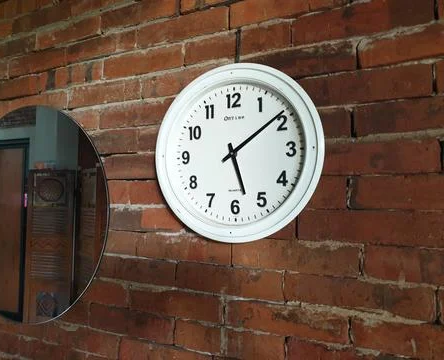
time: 5:08
